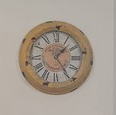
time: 1:24
